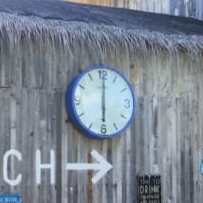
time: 6:00
